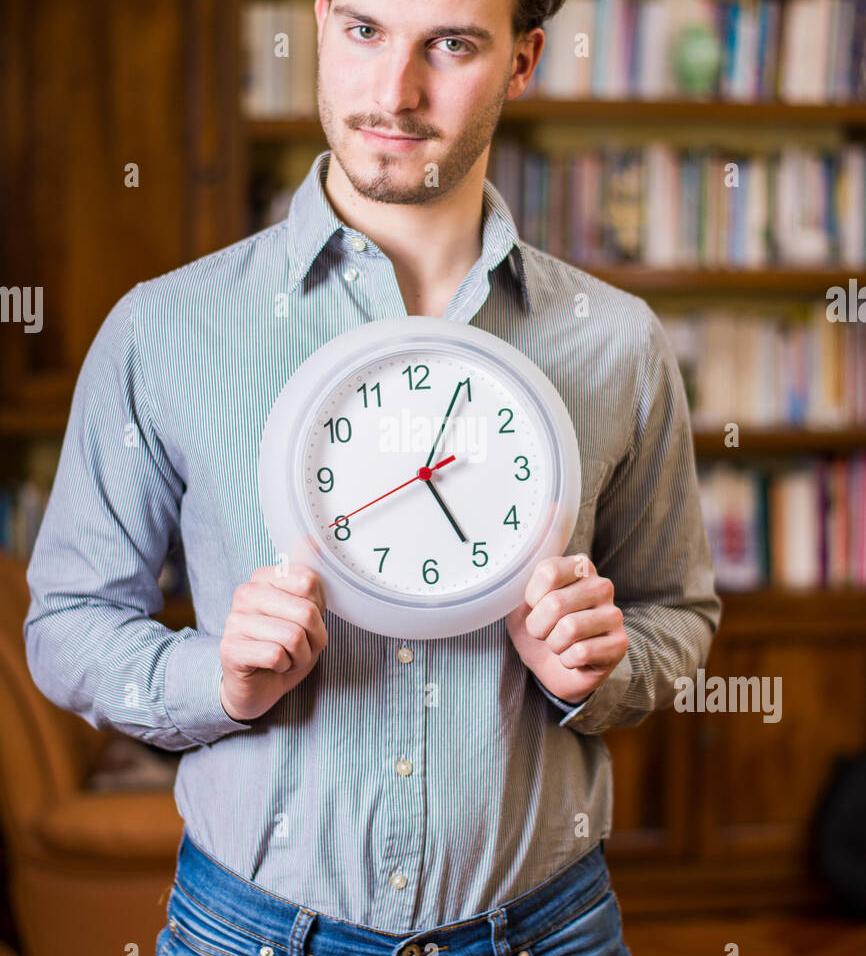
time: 5:04
